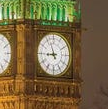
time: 8:56
